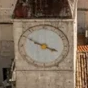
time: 3:50
